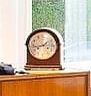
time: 1:42
